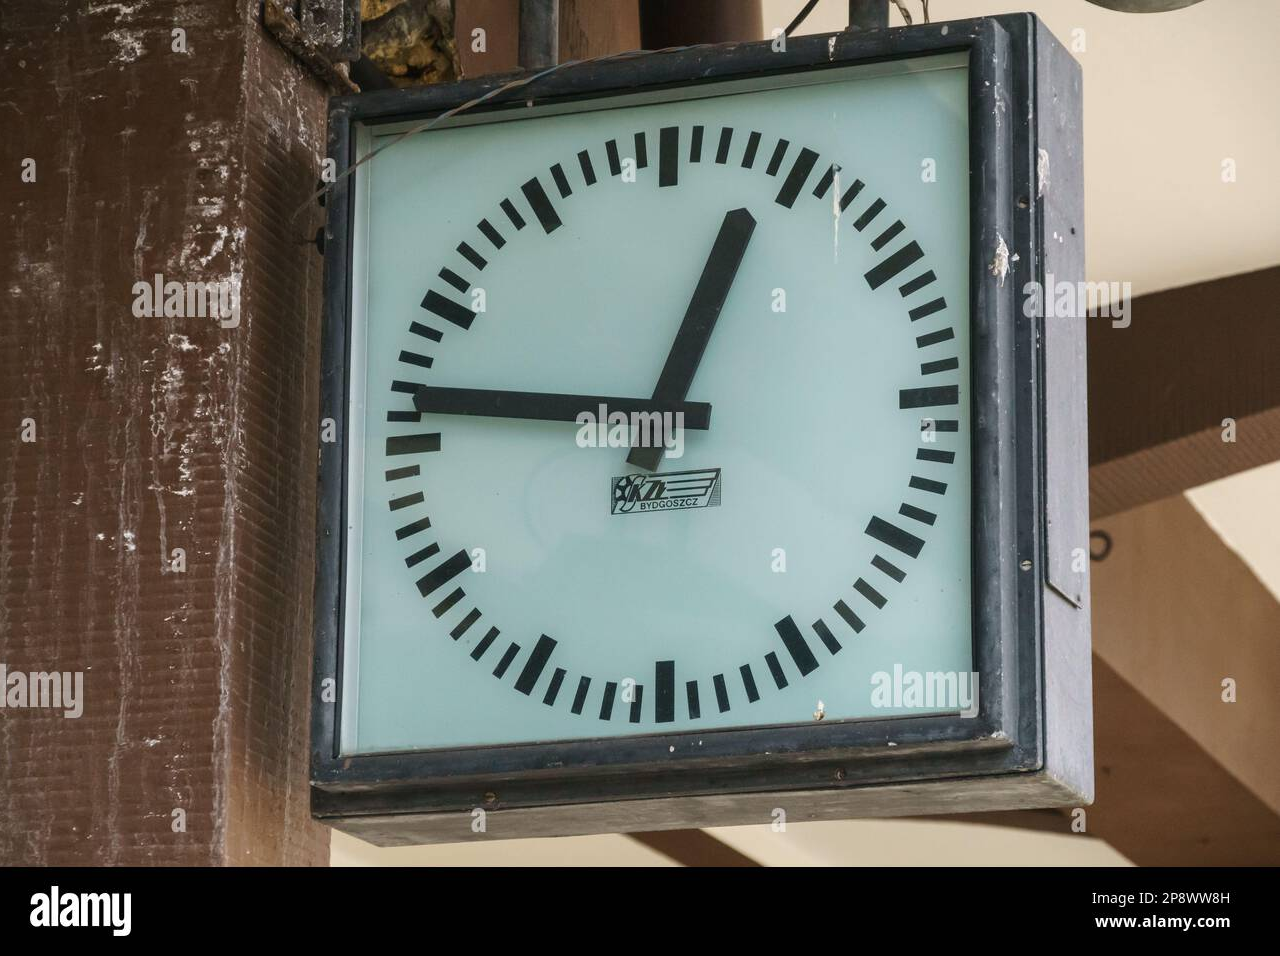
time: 12:46
